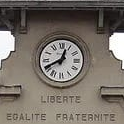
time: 12:40
